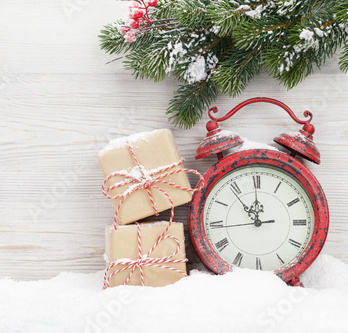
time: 11:53
